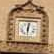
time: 6:01
